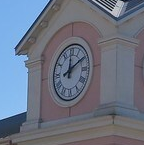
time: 12:09
